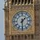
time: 1:30
